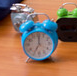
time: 7:00
